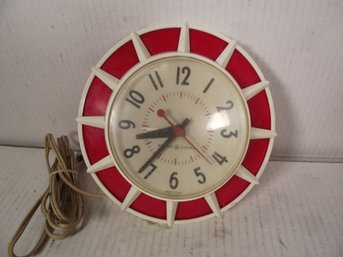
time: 8:36
